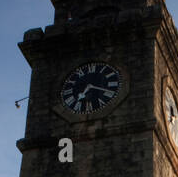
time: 7:18
